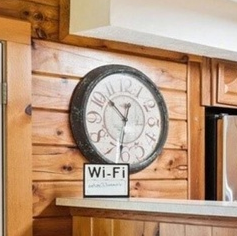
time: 10:31
